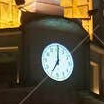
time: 7:00
